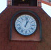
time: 1:02
